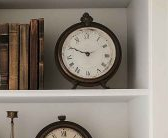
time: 9:50
